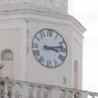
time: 3:12
